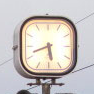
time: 5:41
